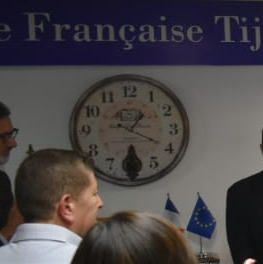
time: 1:19
